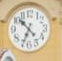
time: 10:34
